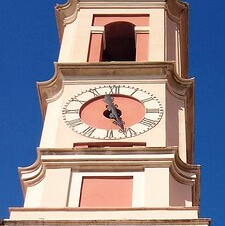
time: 11:26
